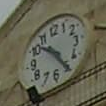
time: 10:24
